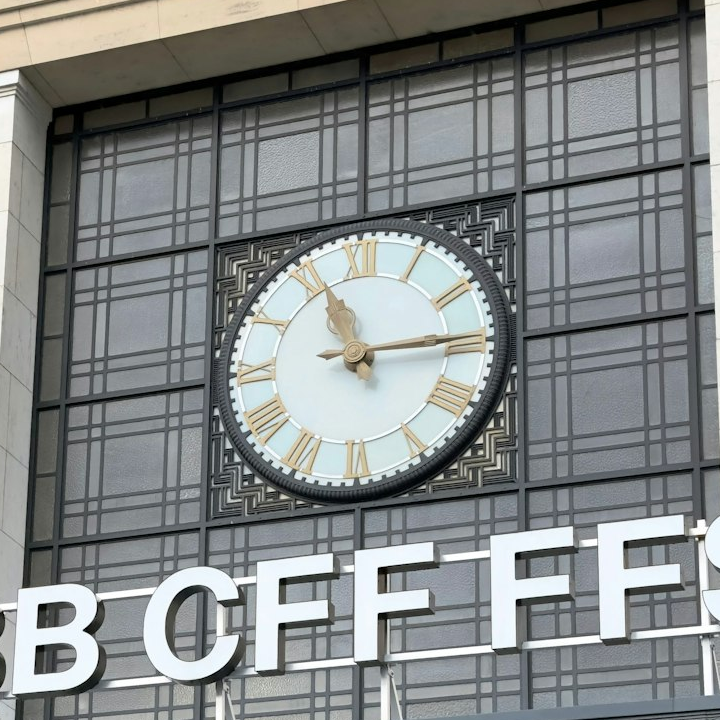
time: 11:14
